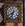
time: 7:32
